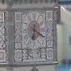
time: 6:19
